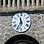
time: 11:35
